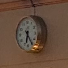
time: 6:24
